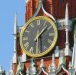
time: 1:28
